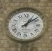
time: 1:08
